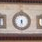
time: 5:32
